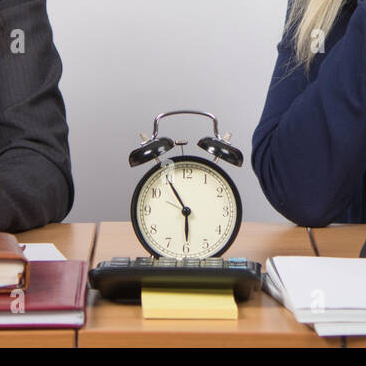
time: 5:55
